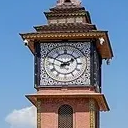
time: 1:50
